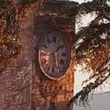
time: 1:28
